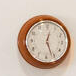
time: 12:26
